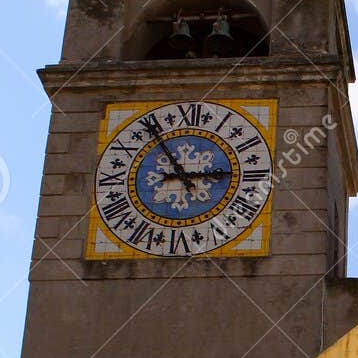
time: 2:53
